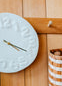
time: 4:20
